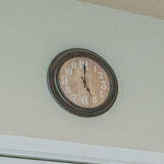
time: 5:00
